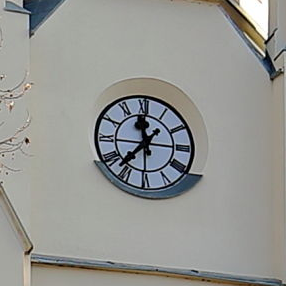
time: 11:36
